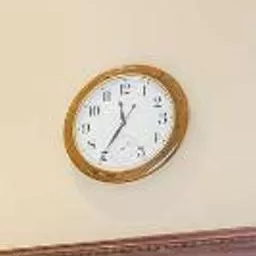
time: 11:35
